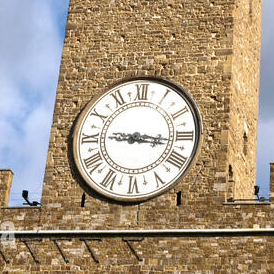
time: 9:16
